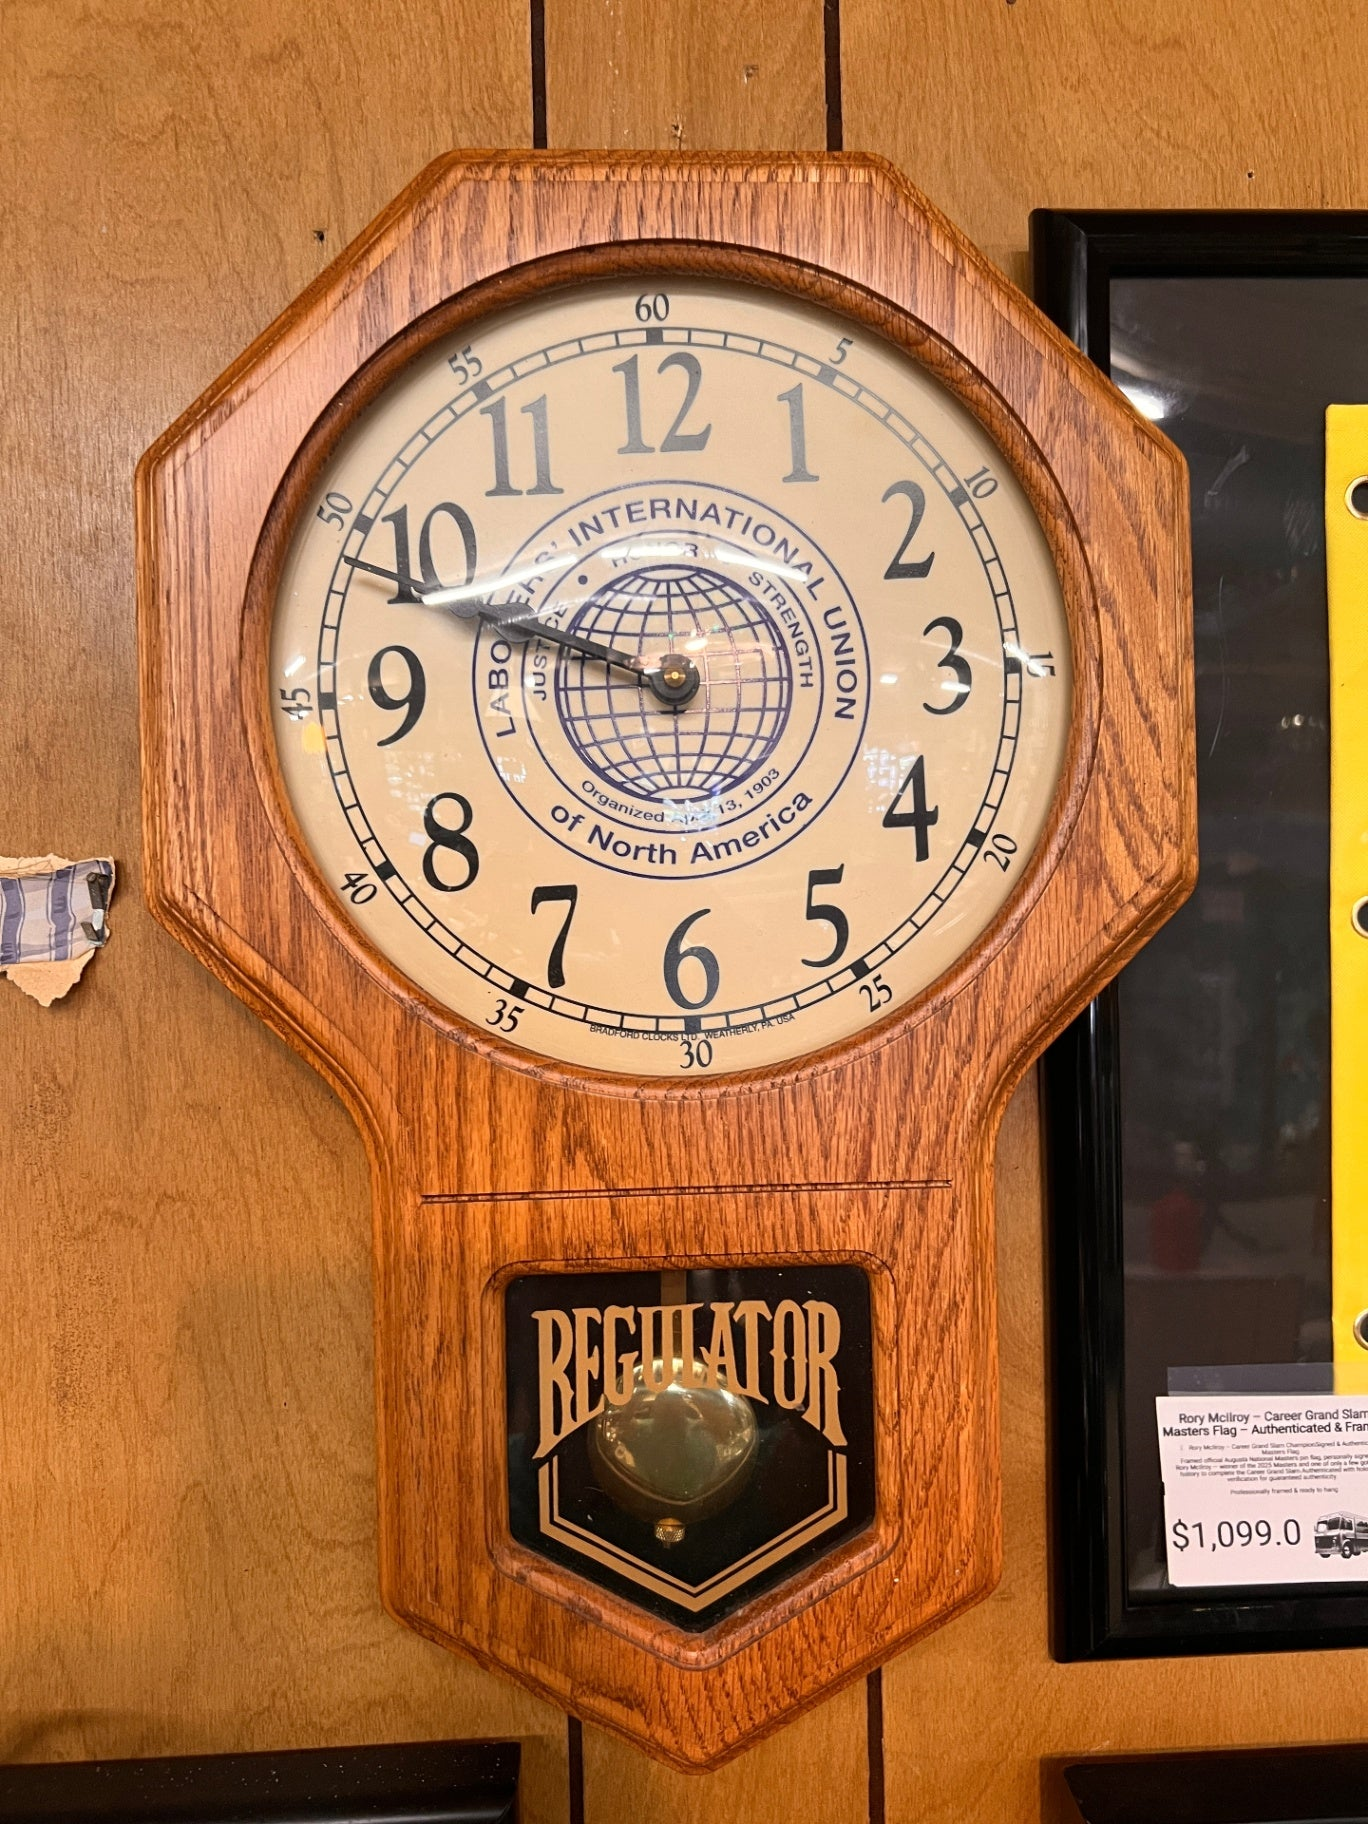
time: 9:48
